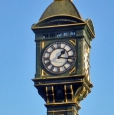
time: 1:16
